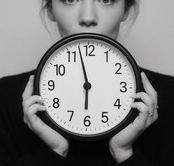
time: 5:57
